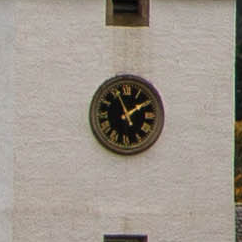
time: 1:56
